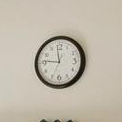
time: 11:46
